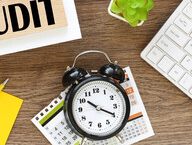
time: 10:19
